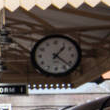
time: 1:22
